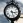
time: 3:27
